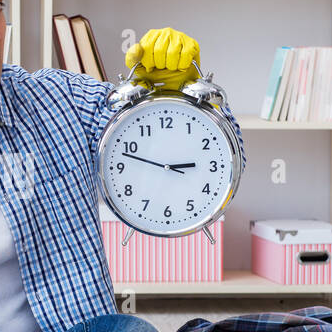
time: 2:48
